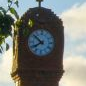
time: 7:51
